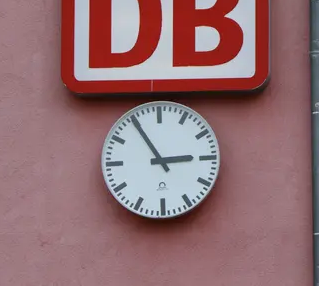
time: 2:54
